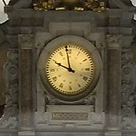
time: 9:58
